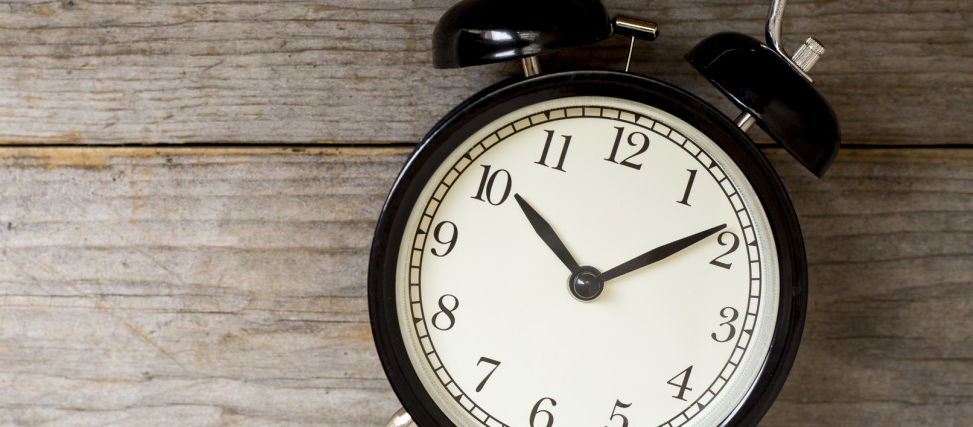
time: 10:08
